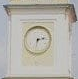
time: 2:32
